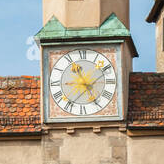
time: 11:25
